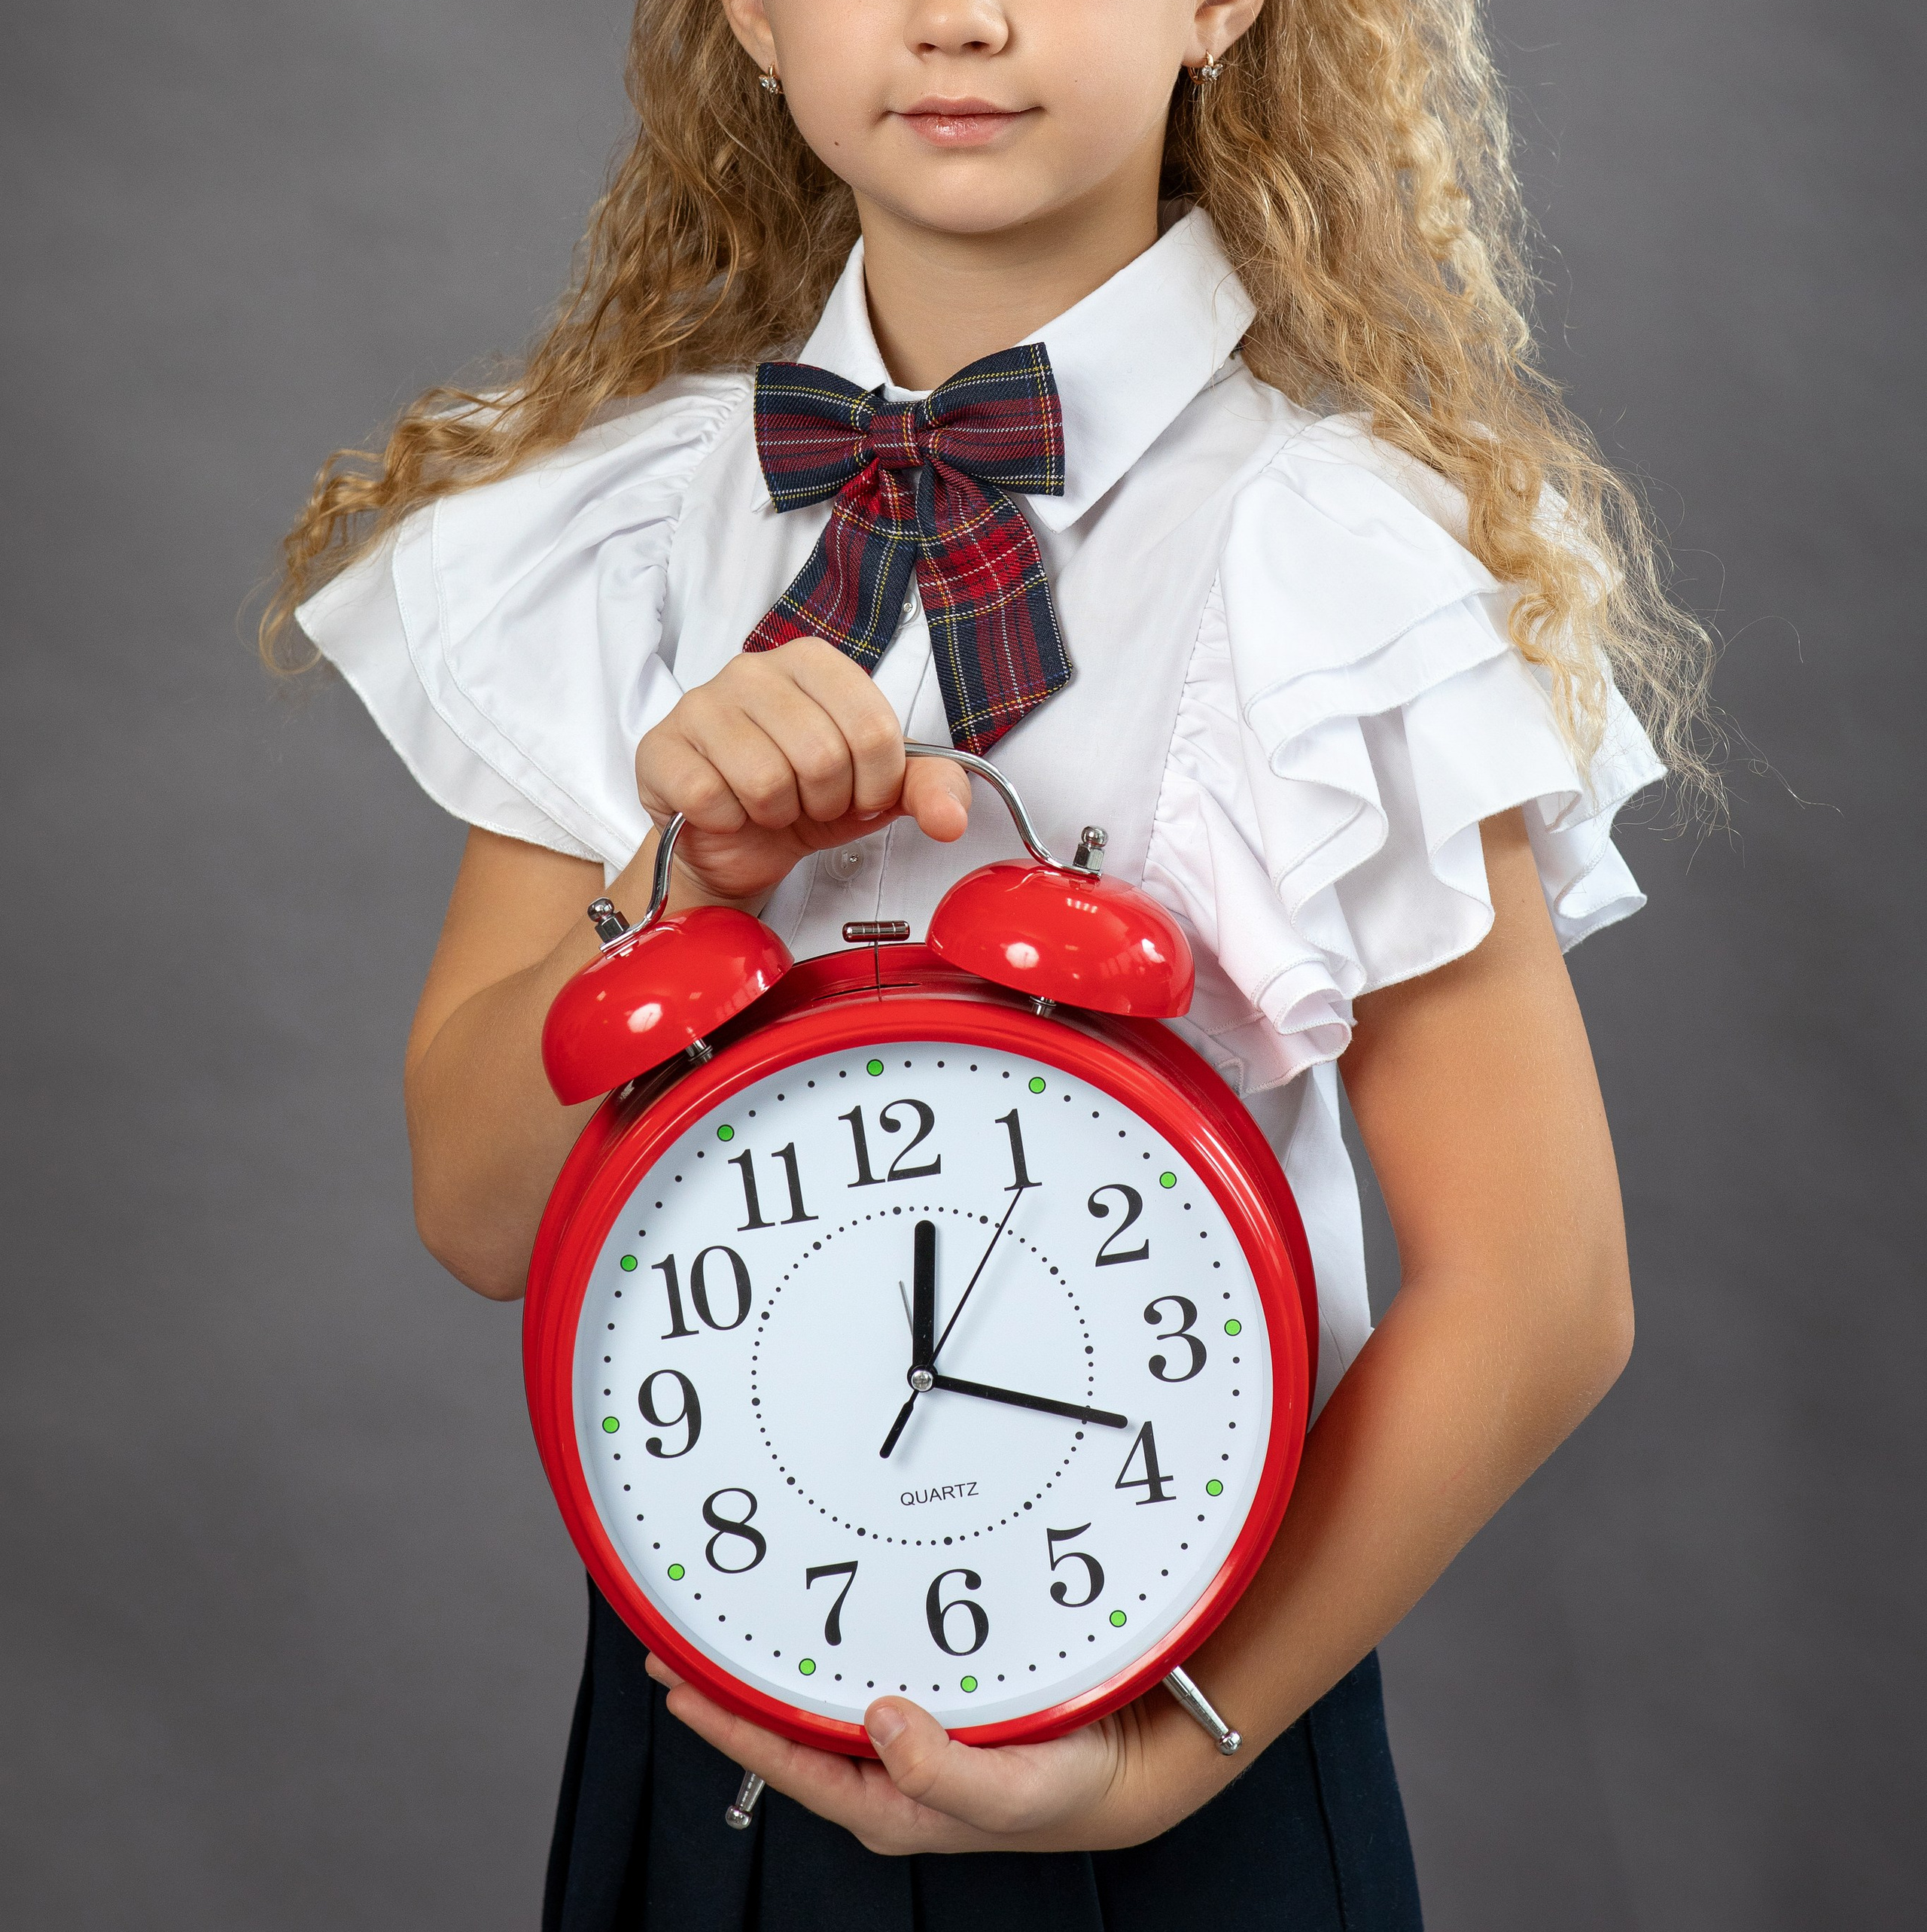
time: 12:18
